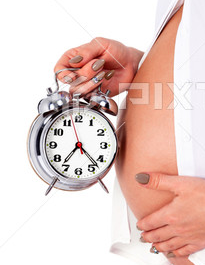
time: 7:22
